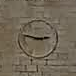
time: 2:48
